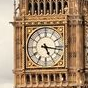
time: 5:16
